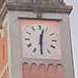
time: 12:30
